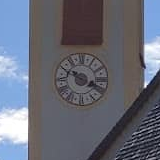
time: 3:48
